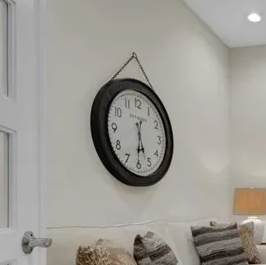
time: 5:30
